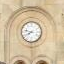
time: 7:47
